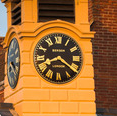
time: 8:21
